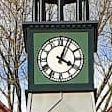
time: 4:03
